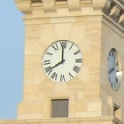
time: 7:59
